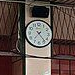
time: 7:23
